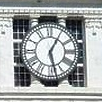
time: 1:28
